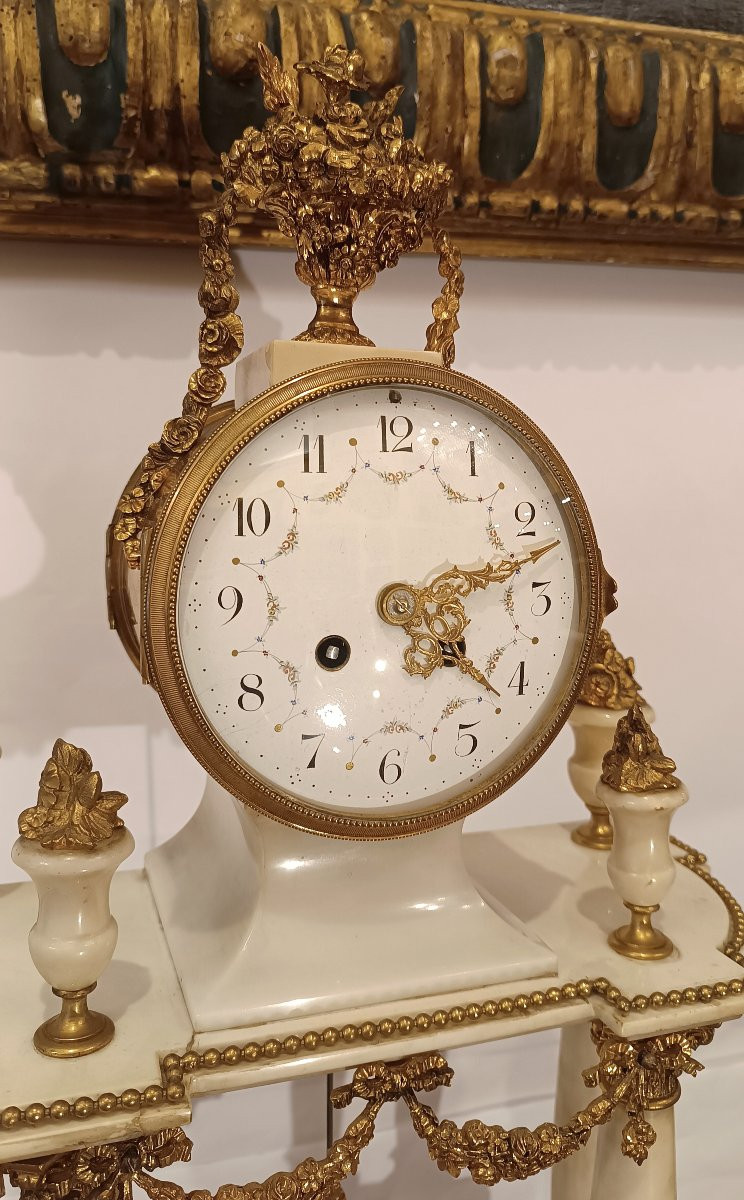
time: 4:12
